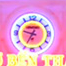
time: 9:34
